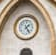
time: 1:24
